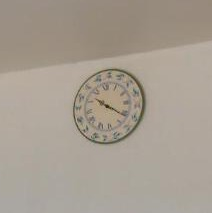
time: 10:20
